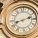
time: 8:12
